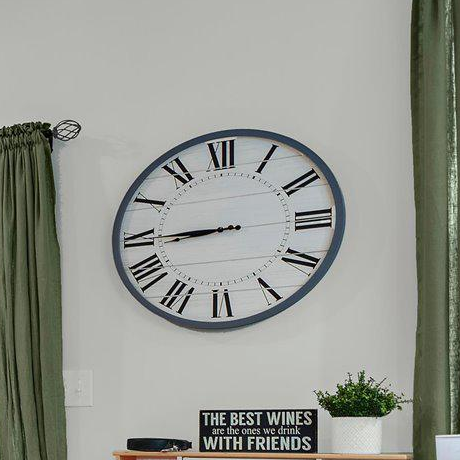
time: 8:45
